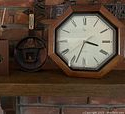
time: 3:33
